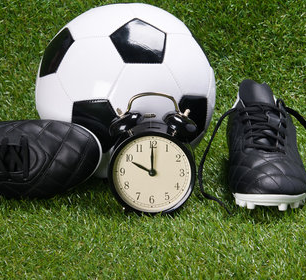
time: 10:00
